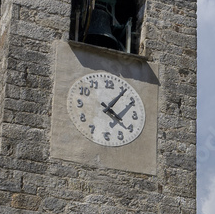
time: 4:05
